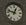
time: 12:47
